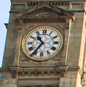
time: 10:36
